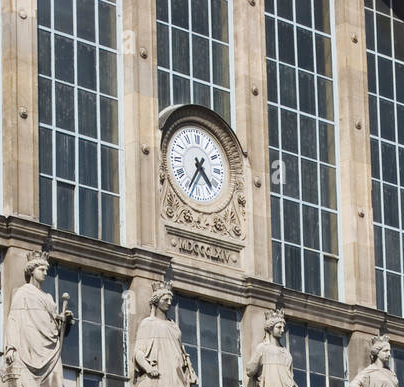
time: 4:34
